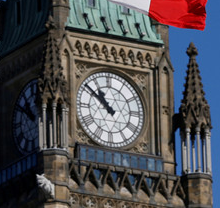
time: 10:51
